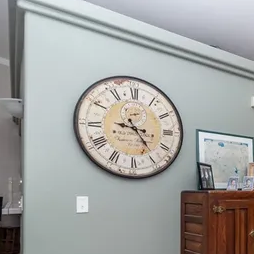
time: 9:23
